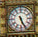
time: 5:26
